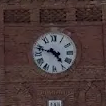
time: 4:48
